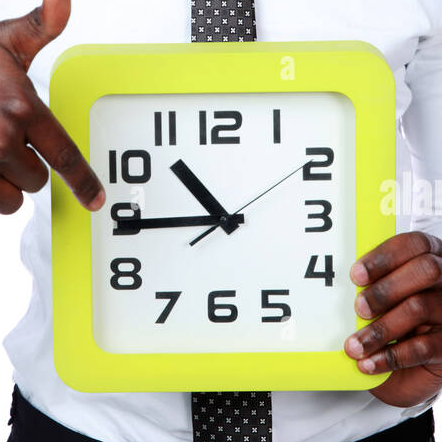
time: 10:44
